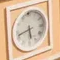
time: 5:42
